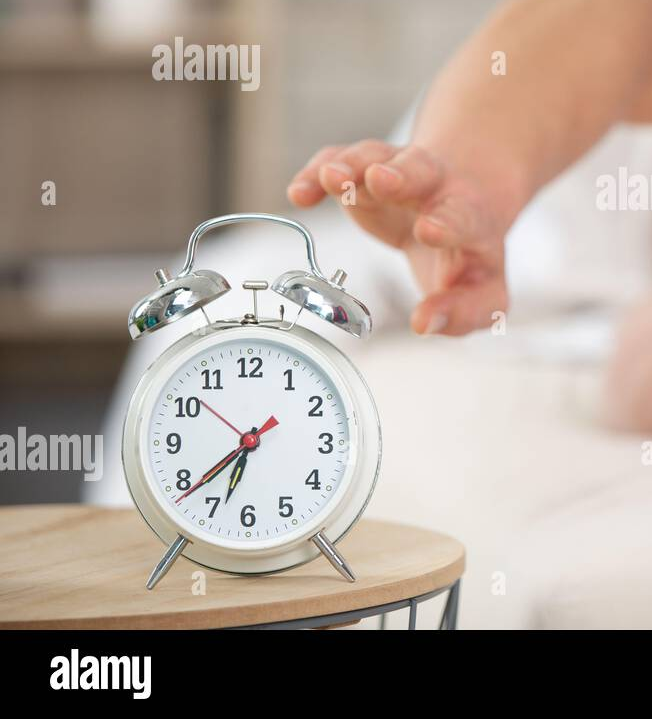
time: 6:38
